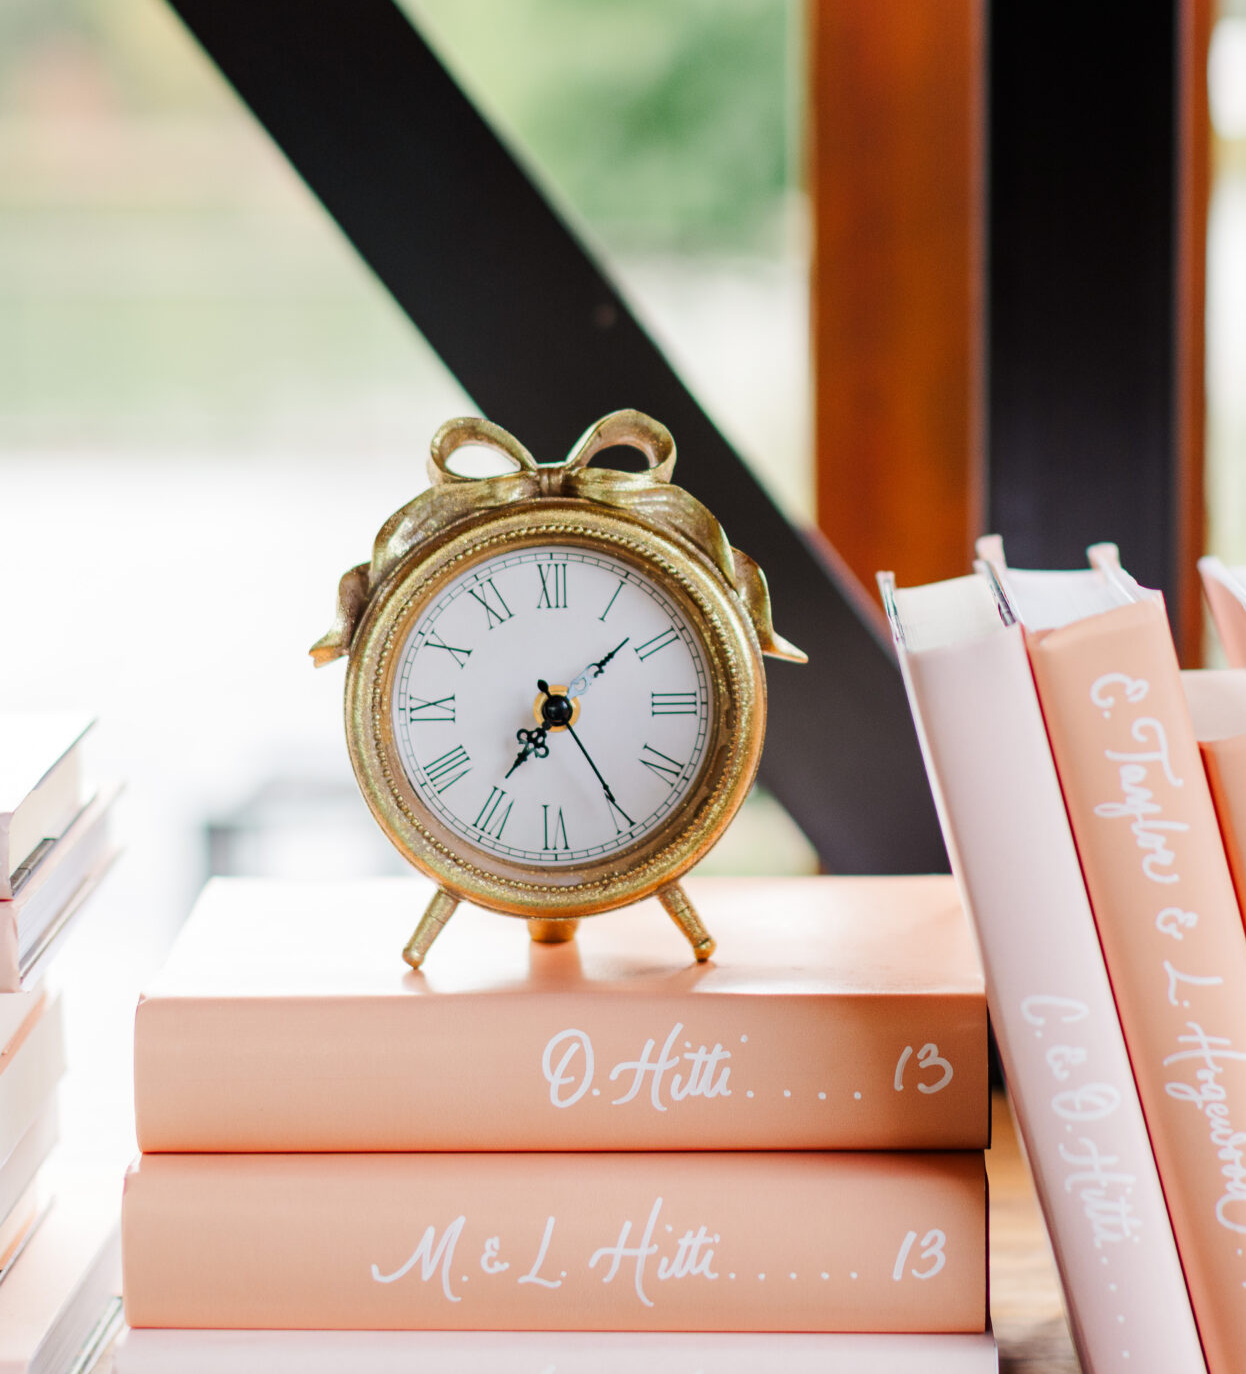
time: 7:08
